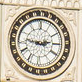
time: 2:46
